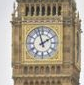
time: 1:57
